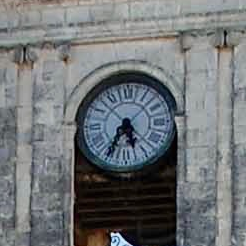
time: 5:34
